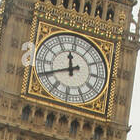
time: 11:40
